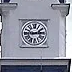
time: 2:46
